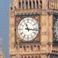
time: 11:16
